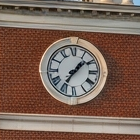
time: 1:35
